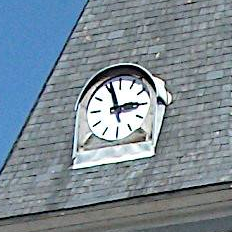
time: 2:56
